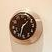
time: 1:32
